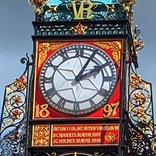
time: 2:04
